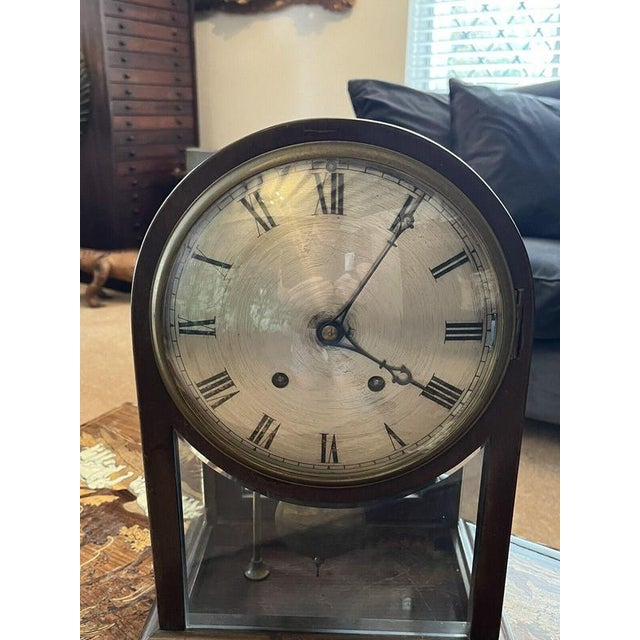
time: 4:05
